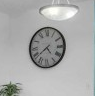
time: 4:38
